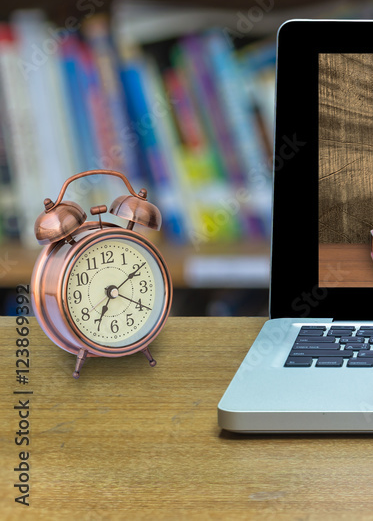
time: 7:10
